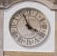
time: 3:56
